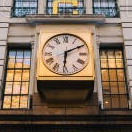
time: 6:10
